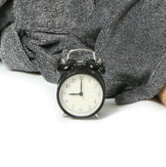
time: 9:00
